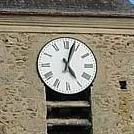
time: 5:02
